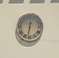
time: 12:32
